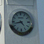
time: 4:42
